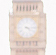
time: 4:14
